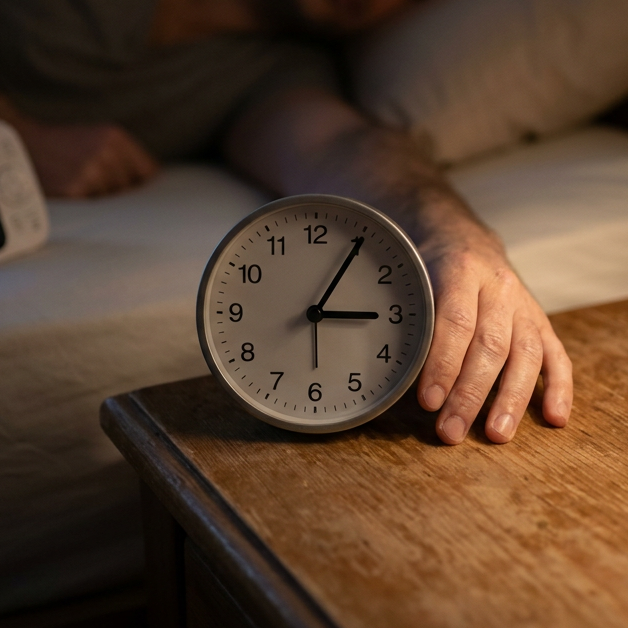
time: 3:05
